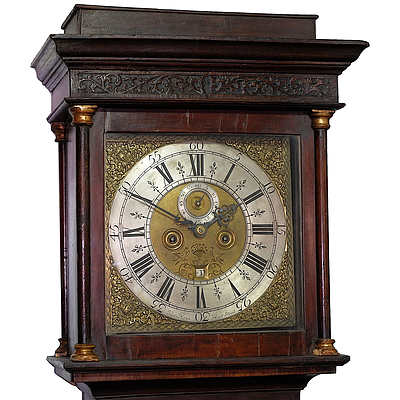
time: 1:49
